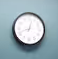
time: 12:41
